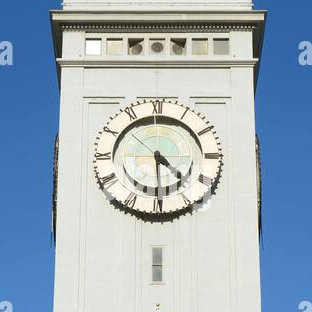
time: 4:29
